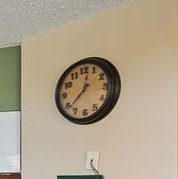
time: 12:38
